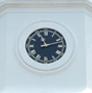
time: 11:12
